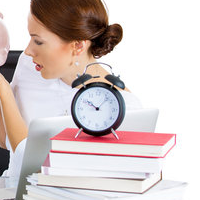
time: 10:07
